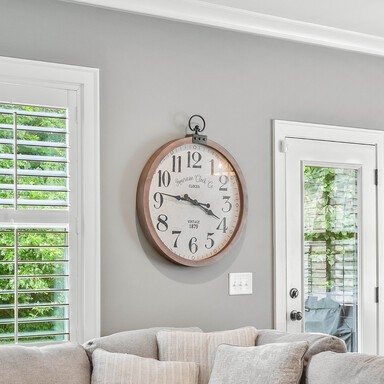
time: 3:46
